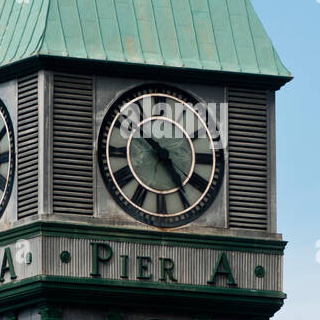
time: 10:24
